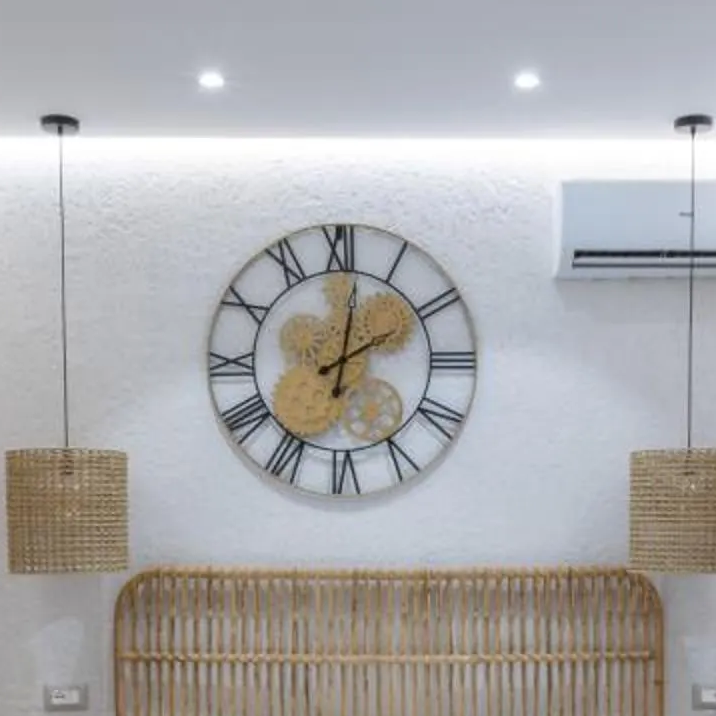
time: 2:01
